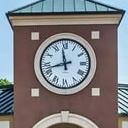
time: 11:42
